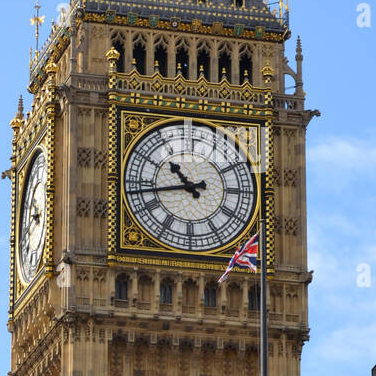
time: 10:43
